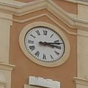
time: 3:12
